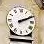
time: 2:11
